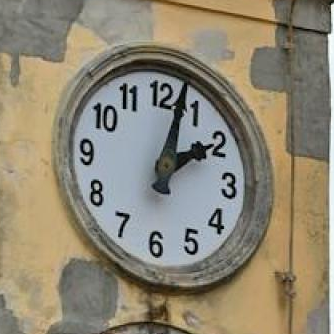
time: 2:02
